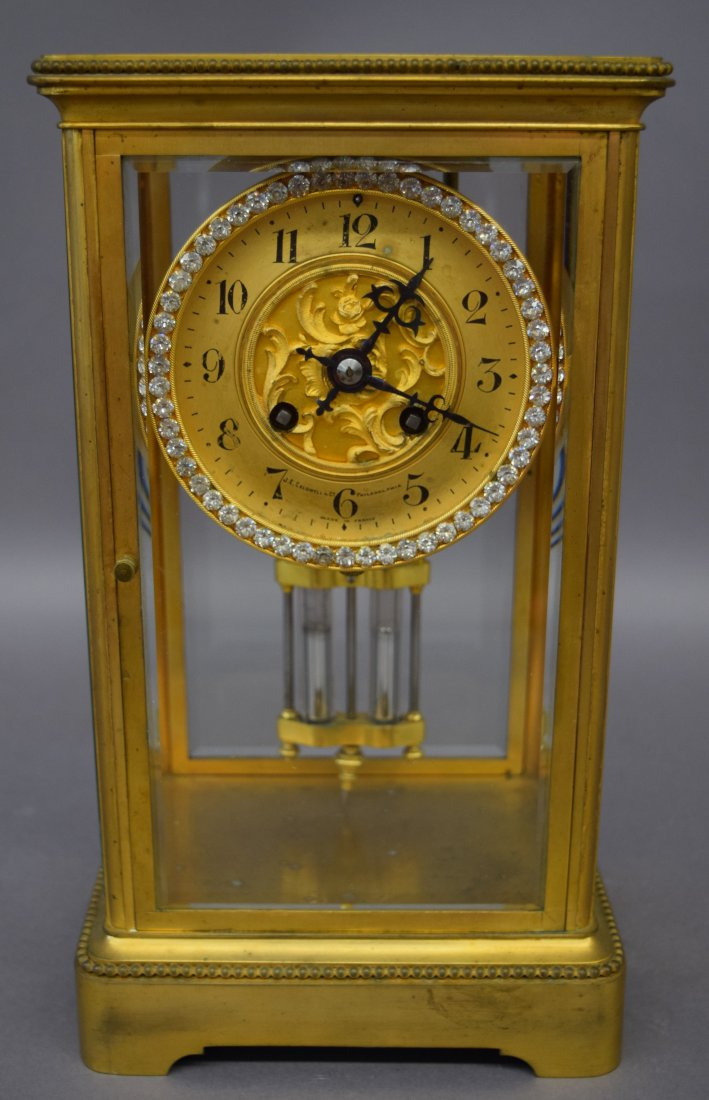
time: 1:18
